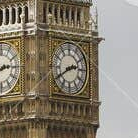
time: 2:40
